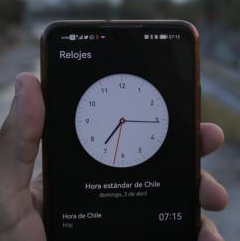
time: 7:15
